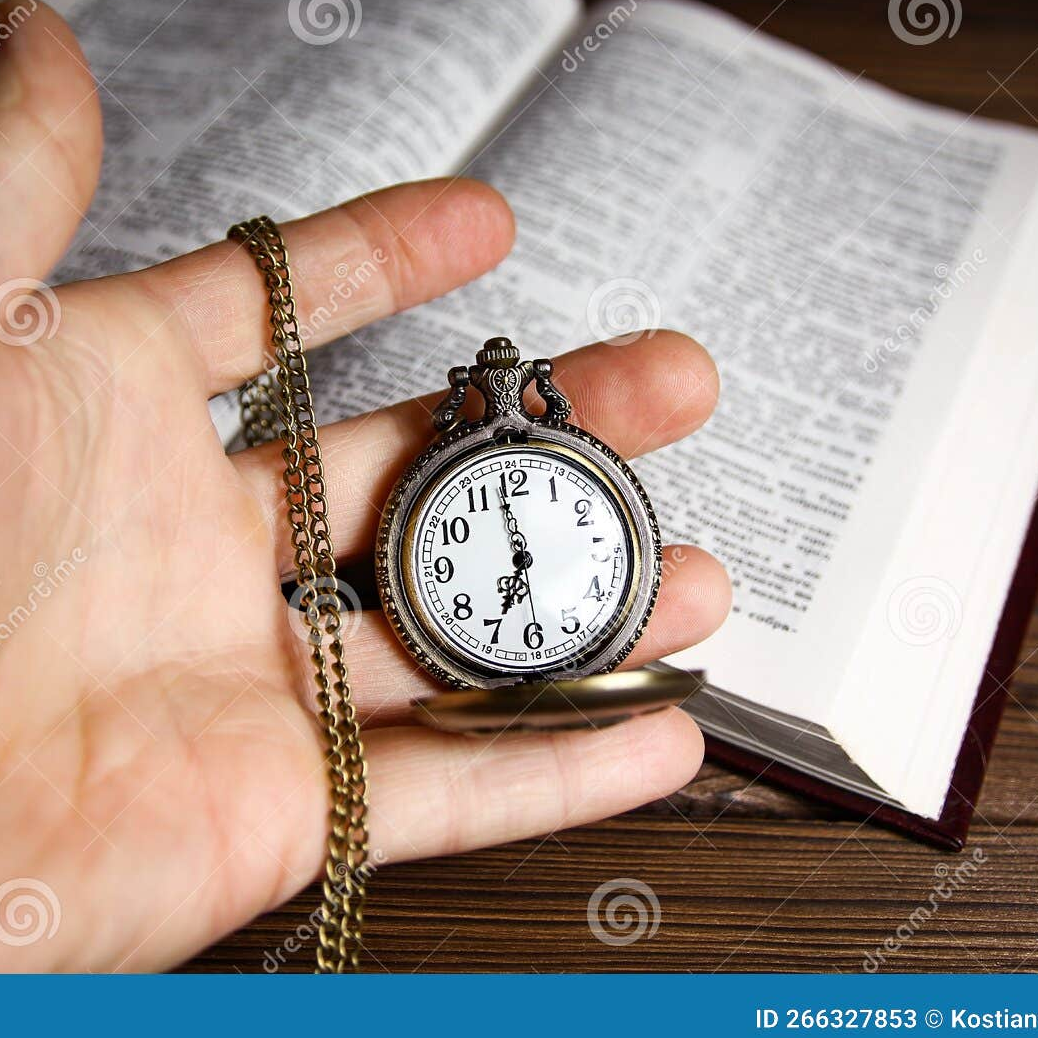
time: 6:58
